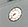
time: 8:38
